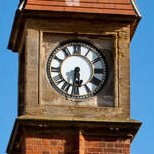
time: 5:31
